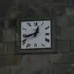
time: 12:42
